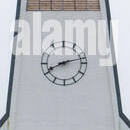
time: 8:12
